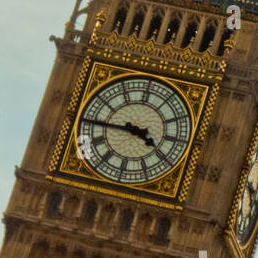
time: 3:44
